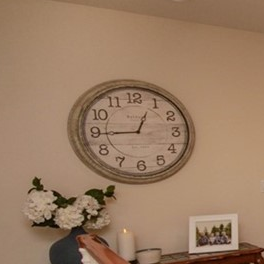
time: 12:44
